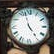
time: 4:57
